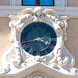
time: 3:43
